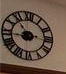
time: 10:43
